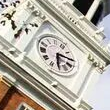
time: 6:15
